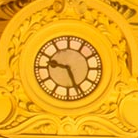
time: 9:26
